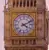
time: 4:10
